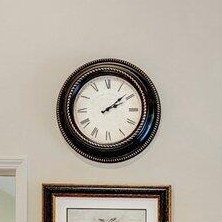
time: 2:08
